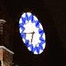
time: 6:41
